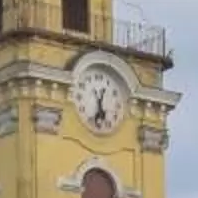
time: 5:32
